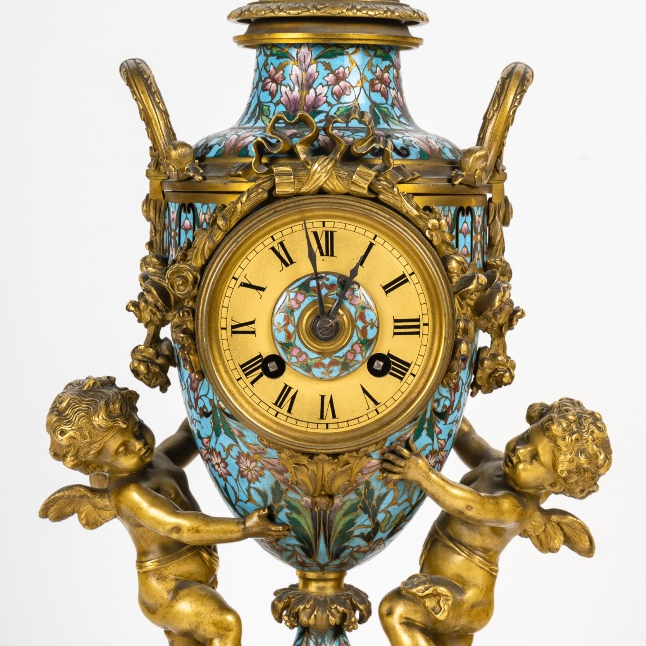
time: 12:58
